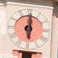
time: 6:00
